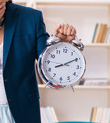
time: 8:09
